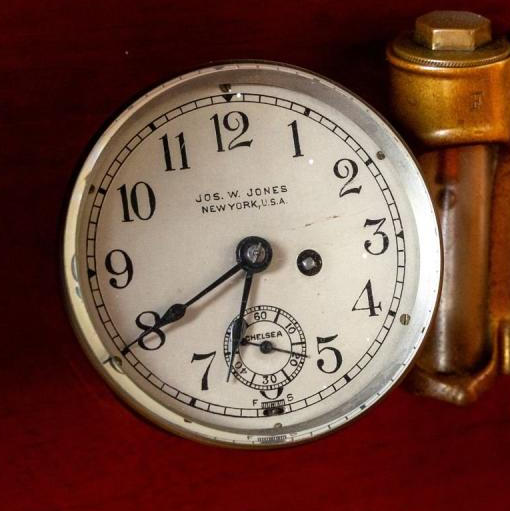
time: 6:40
